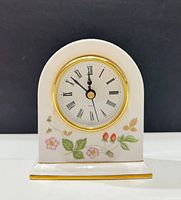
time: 11:52
